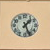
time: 1:26
